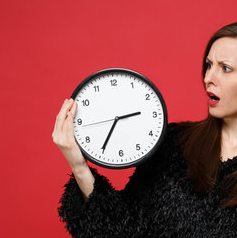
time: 2:35
